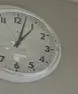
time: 1:02
